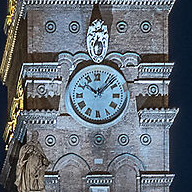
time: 10:07
